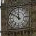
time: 11:50
